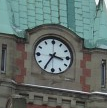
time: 3:35
